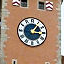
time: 1:16
